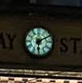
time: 6:10
